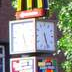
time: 5:26
